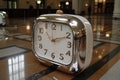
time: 2:11
